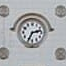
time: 2:34
